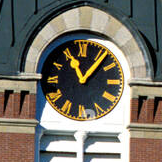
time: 11:06
